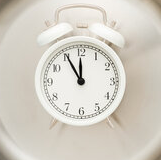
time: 11:55
